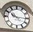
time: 10:15
